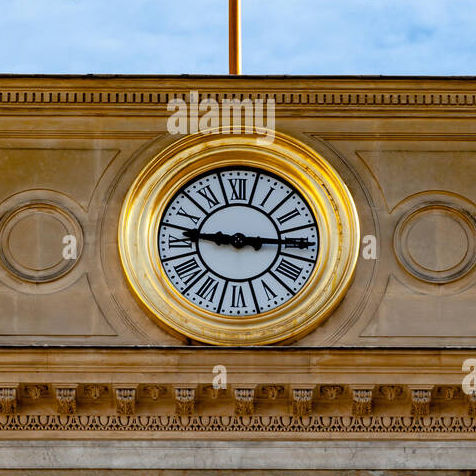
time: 9:14
